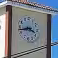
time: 3:42
